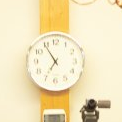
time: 6:54
